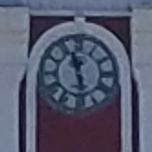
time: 11:28
